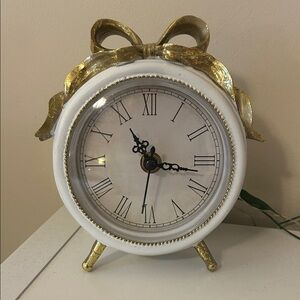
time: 11:17
